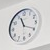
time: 11:19
